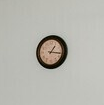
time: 1:16
